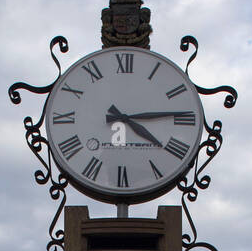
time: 4:13
